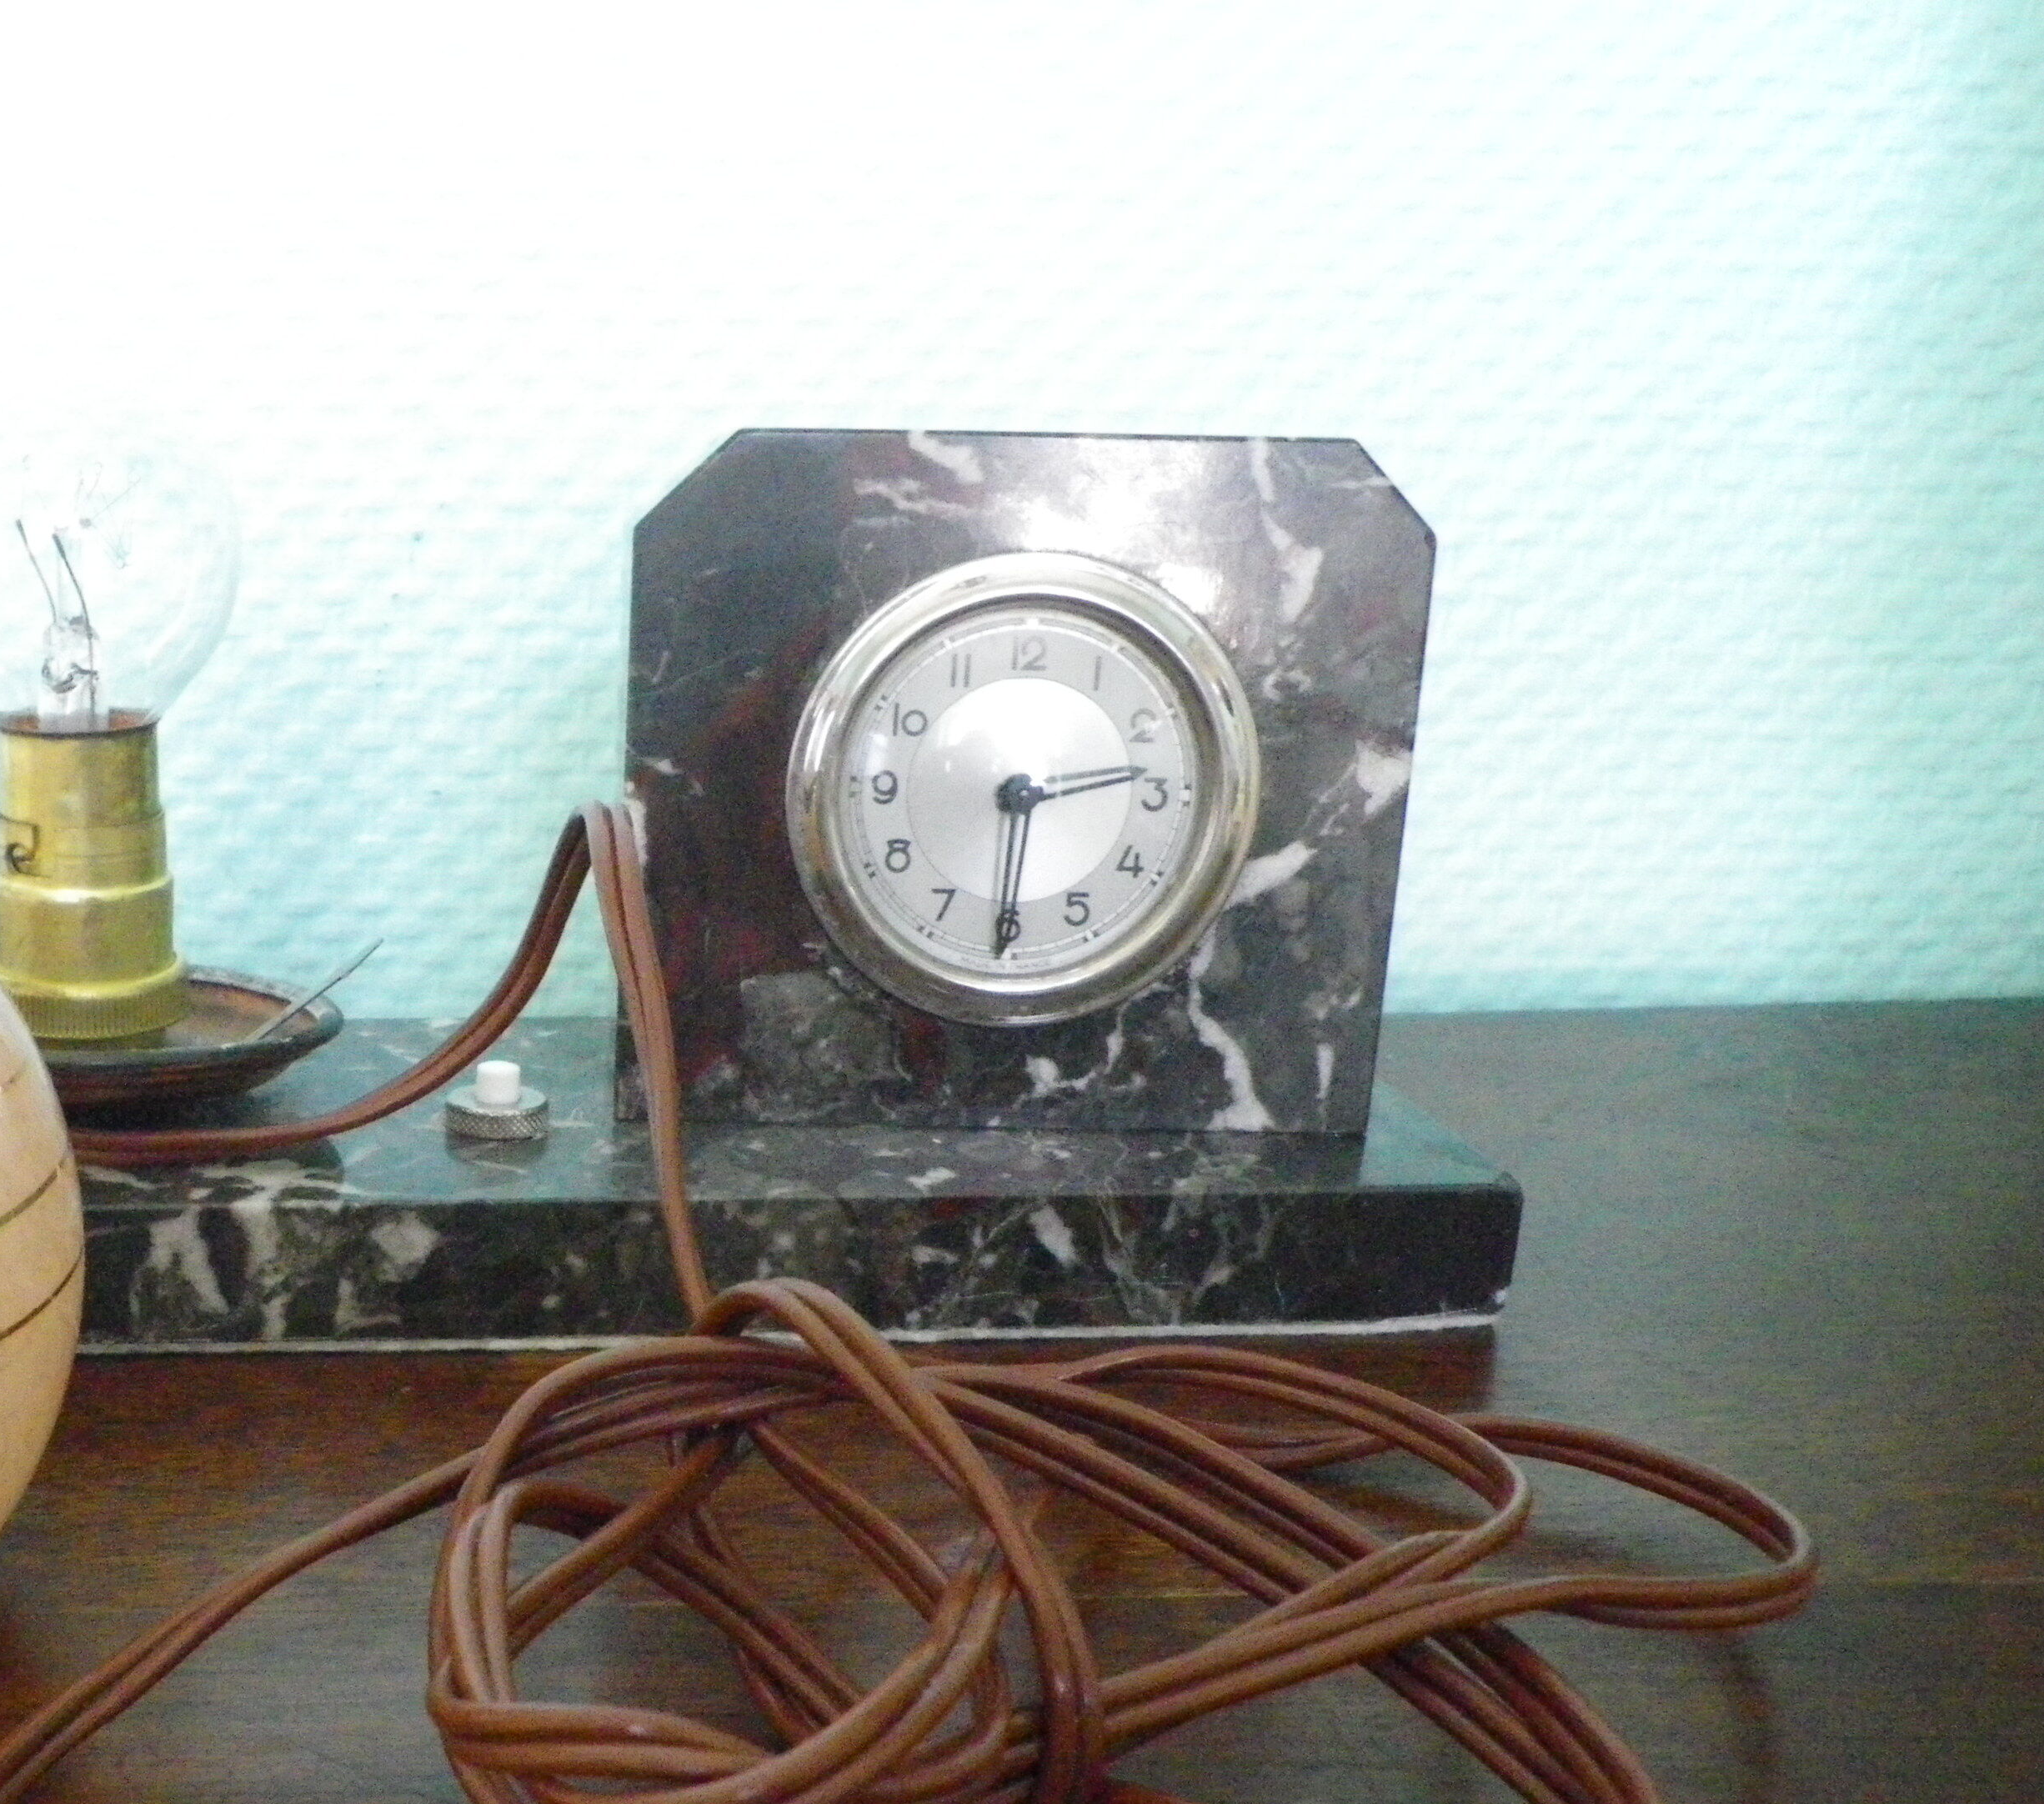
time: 6:13
